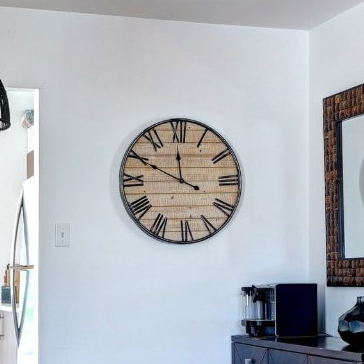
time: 11:49
